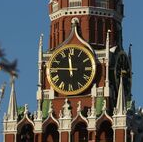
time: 11:45
